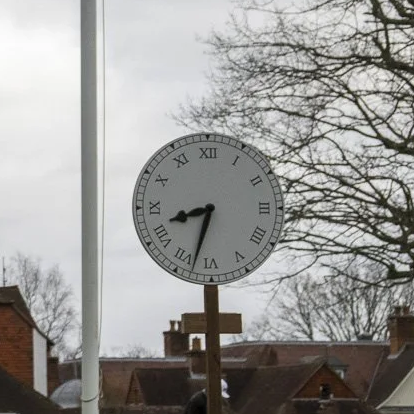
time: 8:32
